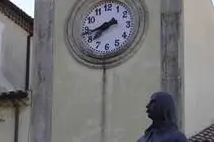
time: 7:42
